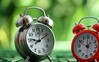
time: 9:10
